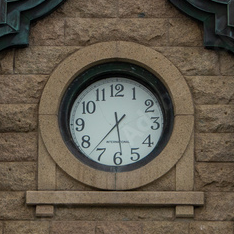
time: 5:36
